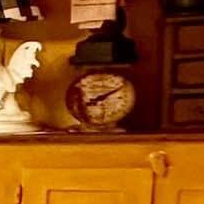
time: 8:09
